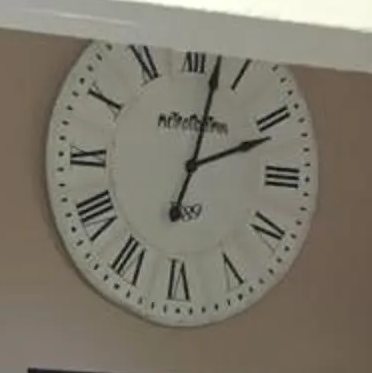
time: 2:02
